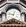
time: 12:47
